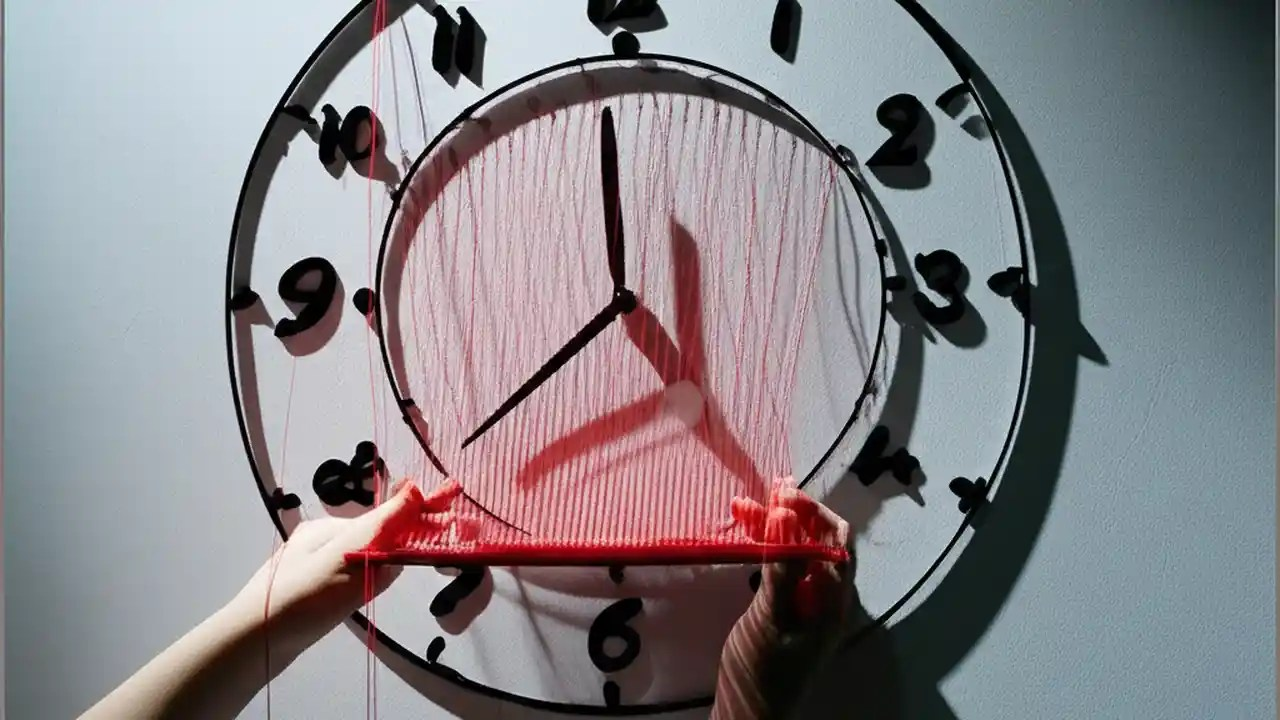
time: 11:38
